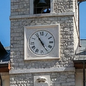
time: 4:54
